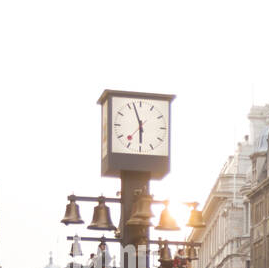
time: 5:57
